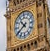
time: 10:39
